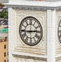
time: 2:44
